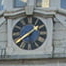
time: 1:39
